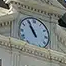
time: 10:55
